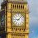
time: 9:07
